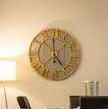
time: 4:59
